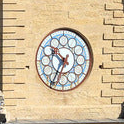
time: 10:34
